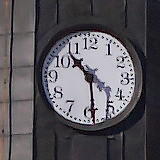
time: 10:29
